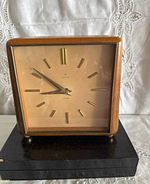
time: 8:51
